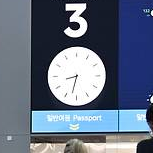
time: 8:32
